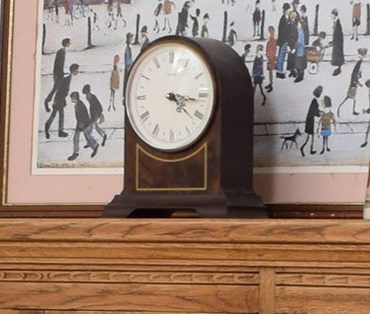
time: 4:16
